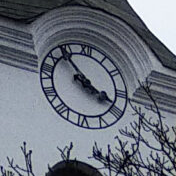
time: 3:52
